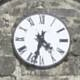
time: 4:32
